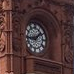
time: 1:43
